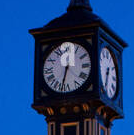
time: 6:32
